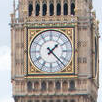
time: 1:22
